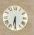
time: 6:29
